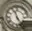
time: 4:57
